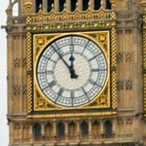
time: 11:53
